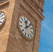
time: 12:10
